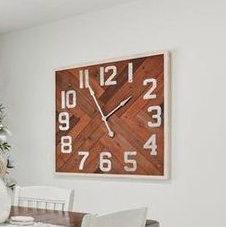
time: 1:55
